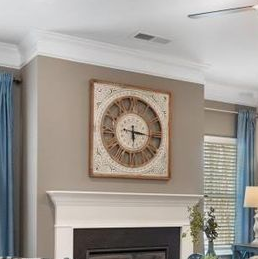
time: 6:15
